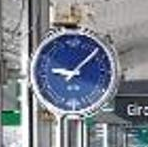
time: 9:07
